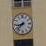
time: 8:37
